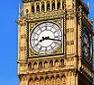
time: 8:17
